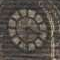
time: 3:32
